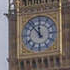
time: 11:53
